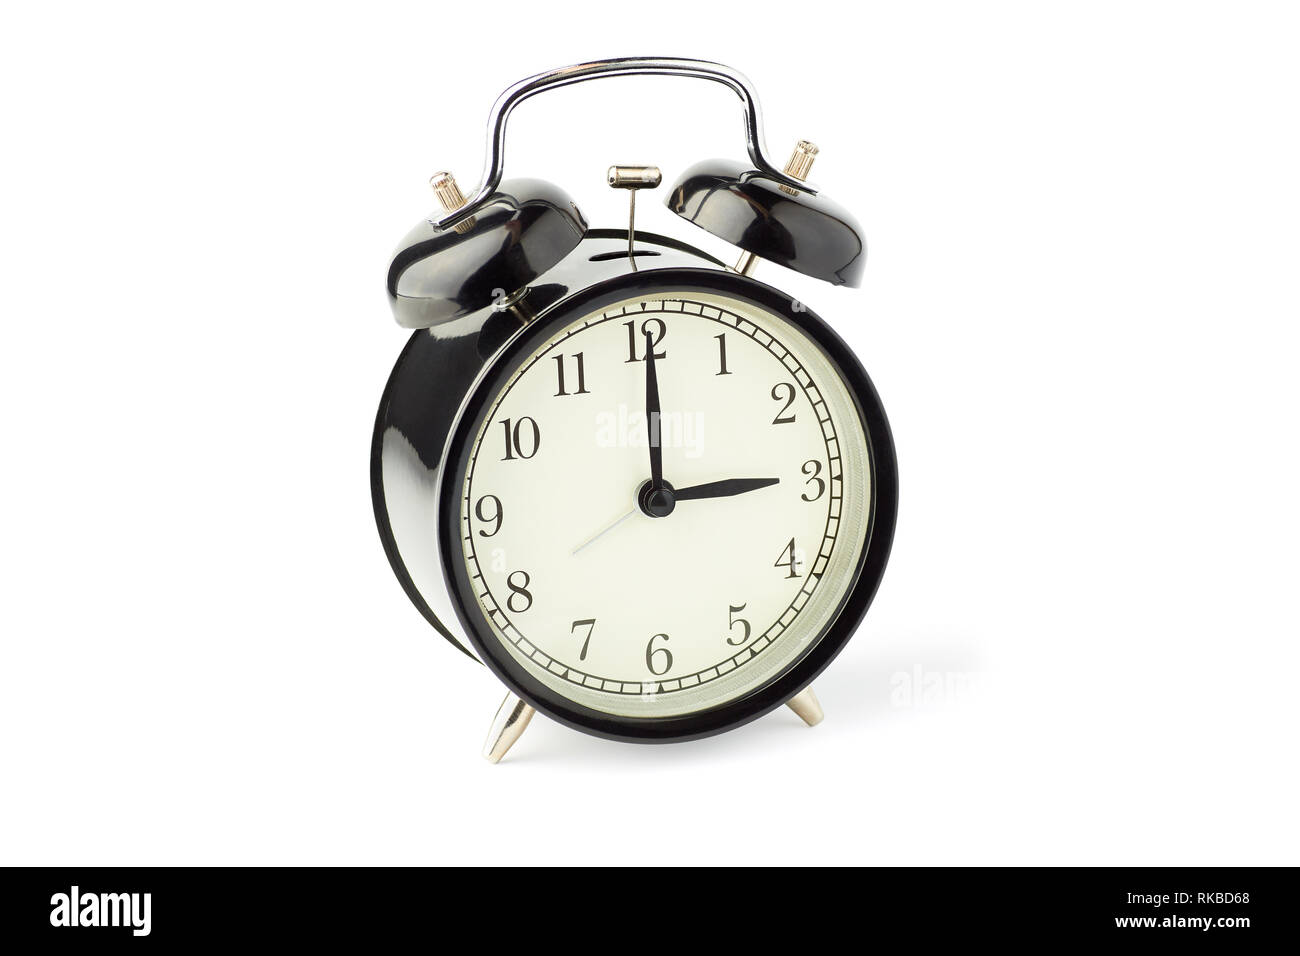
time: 3:00
